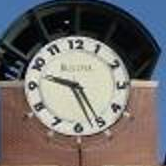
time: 9:25
